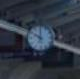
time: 10:00
